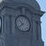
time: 10:38
